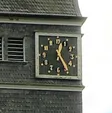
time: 12:24
